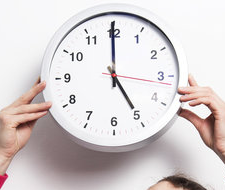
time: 4:59
